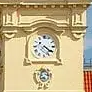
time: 4:20
